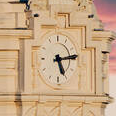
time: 5:13
